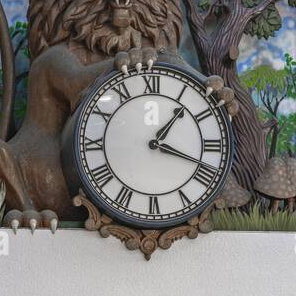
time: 1:18
